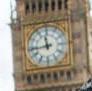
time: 11:43
